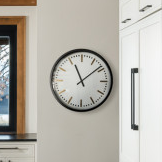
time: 11:08
